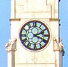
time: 2:18
